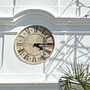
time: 4:14
